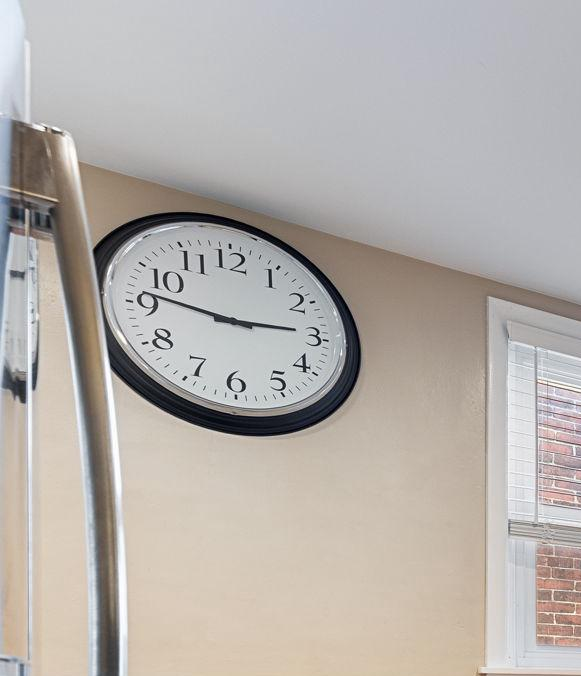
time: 2:46
